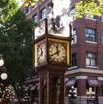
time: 11:40
